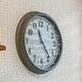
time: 11:23
